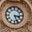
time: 3:26
